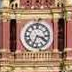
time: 3:33
